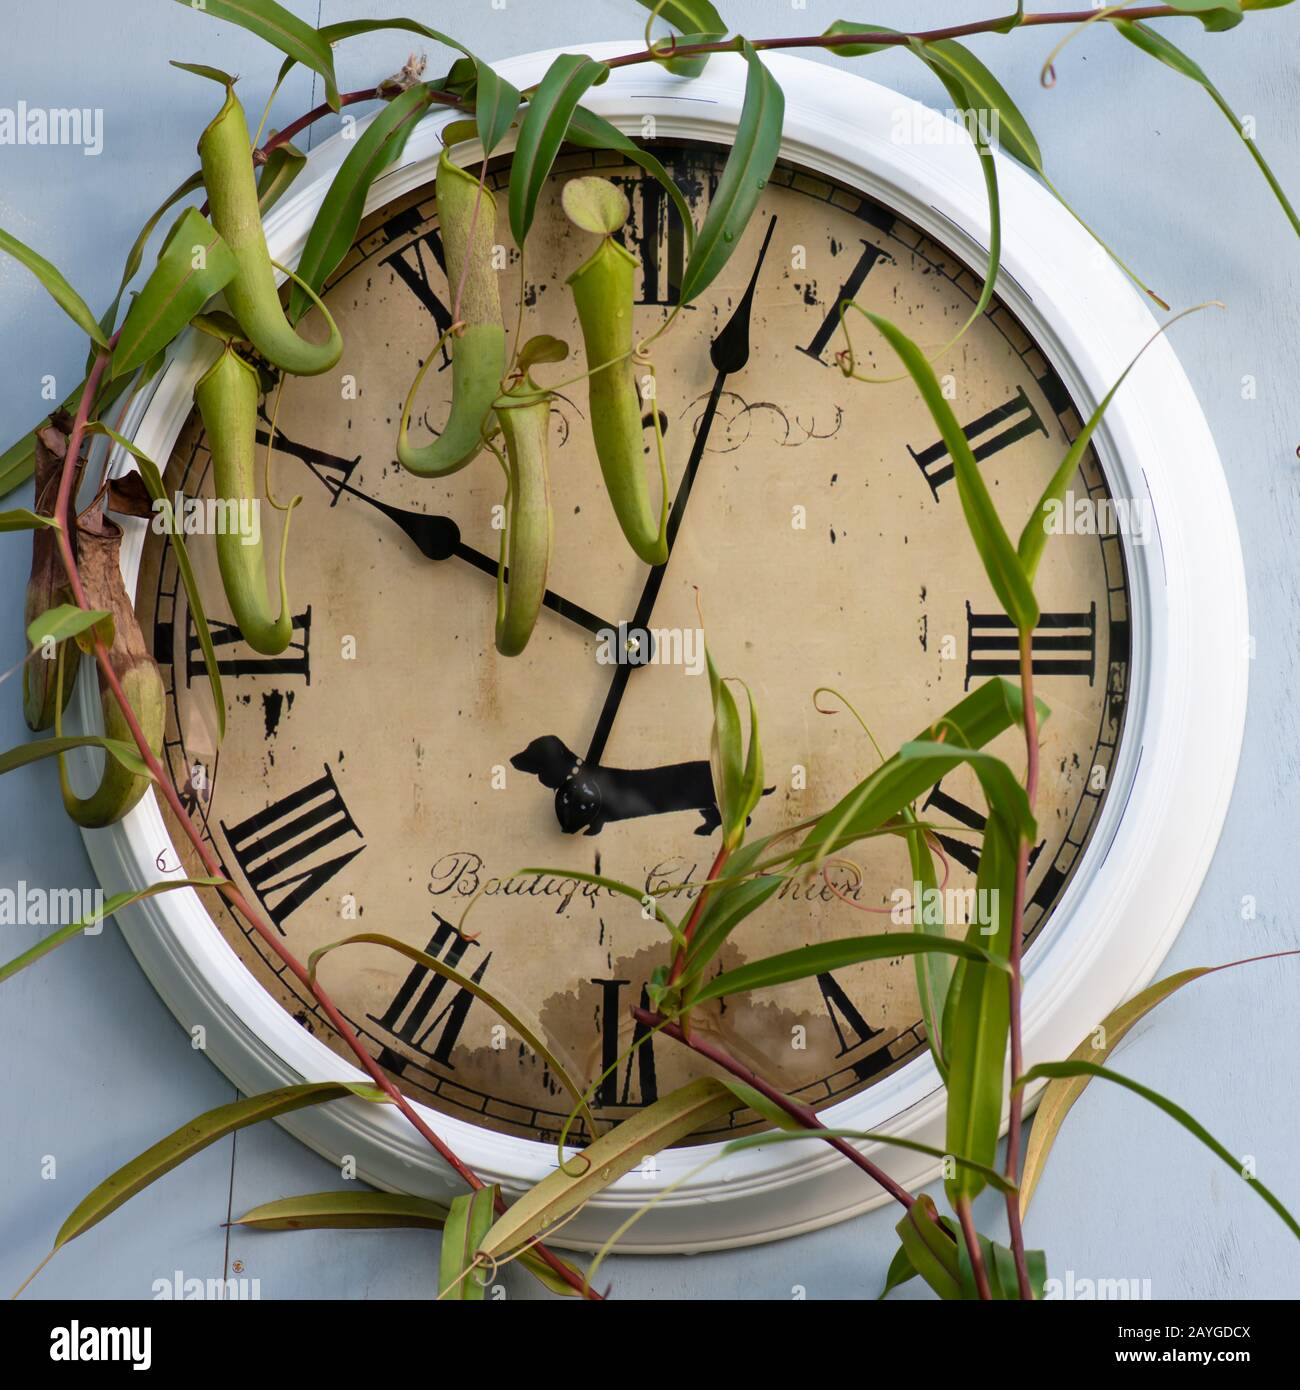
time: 10:02
